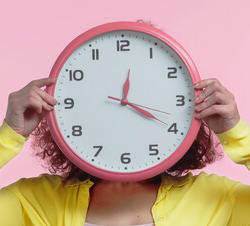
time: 12:19
